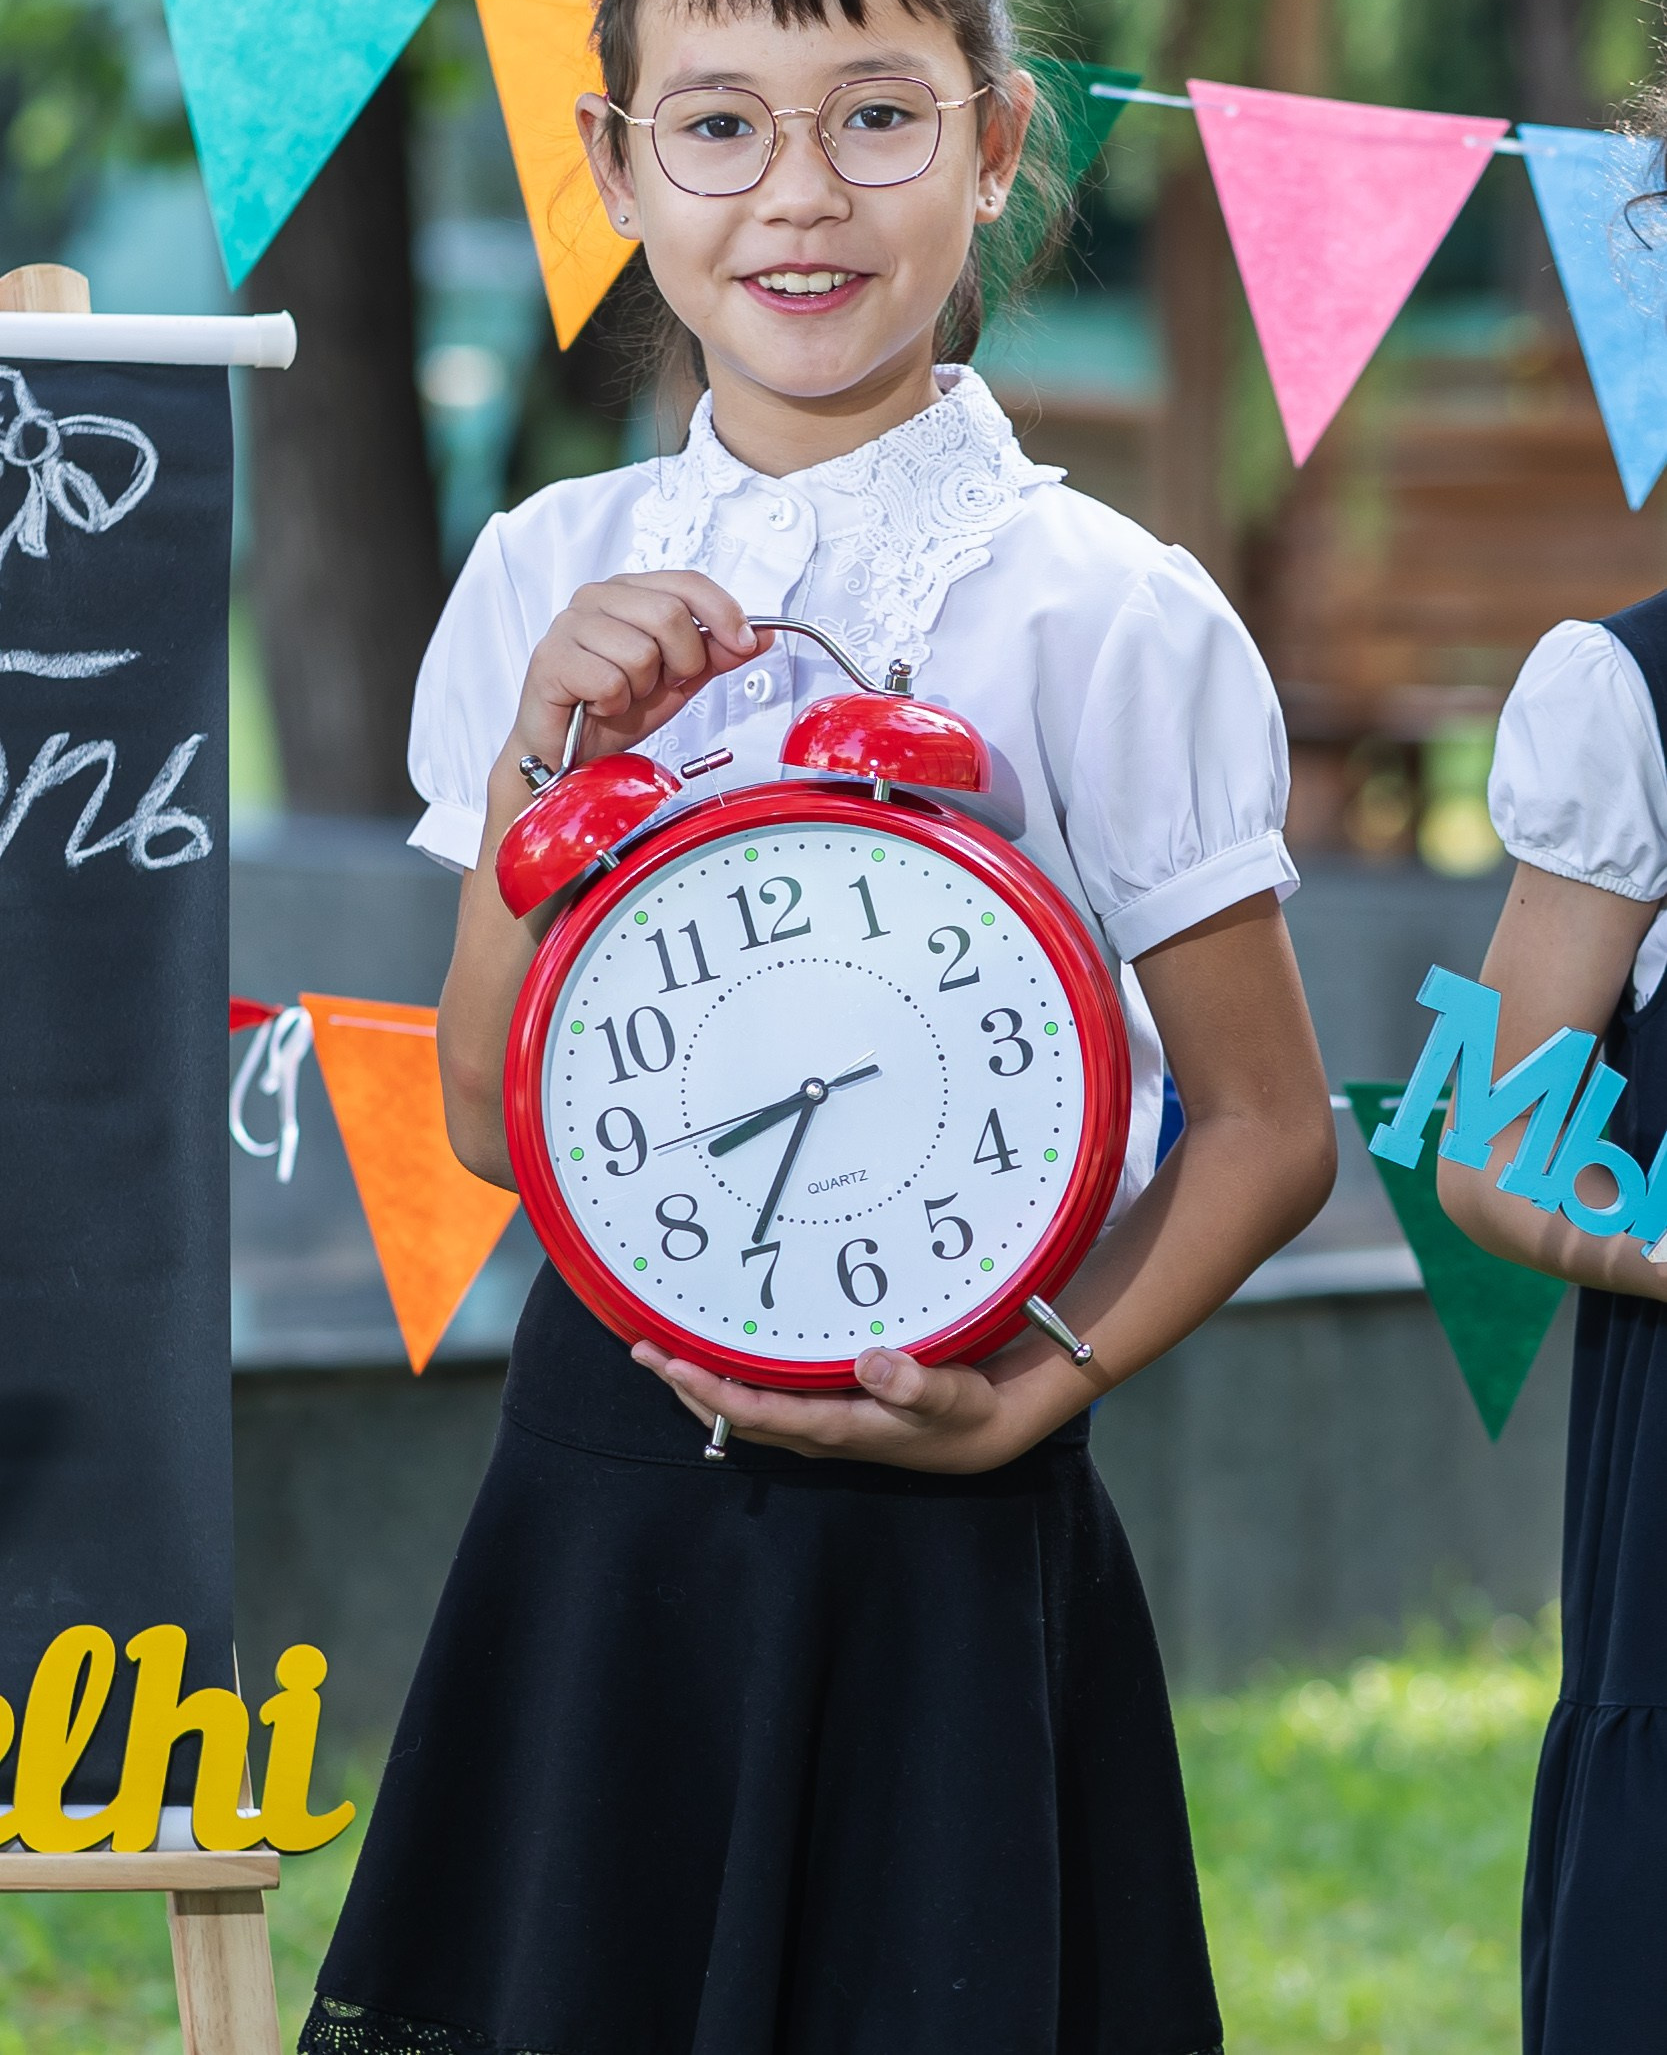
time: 8:36
